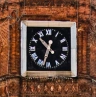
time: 10:33
